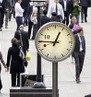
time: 12:45
